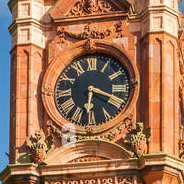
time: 6:18
